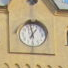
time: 6:58
